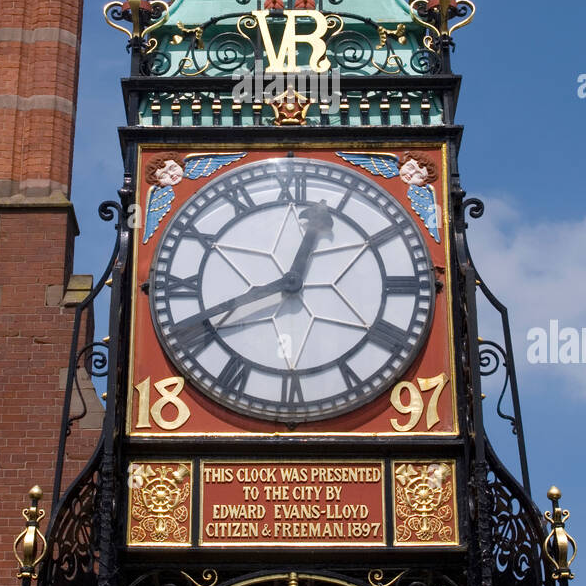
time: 12:41
